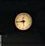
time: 11:43
